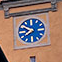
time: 7:50
